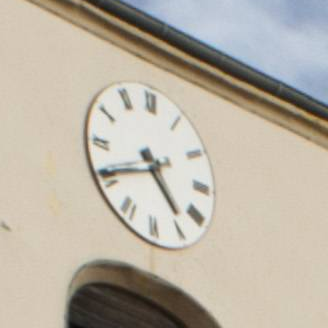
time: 4:40
